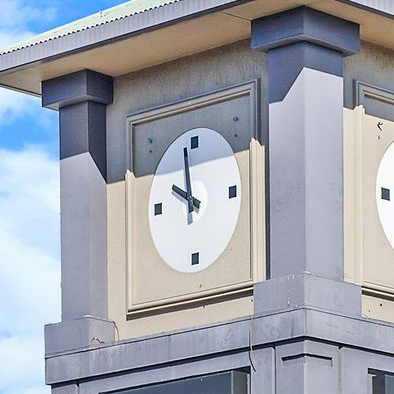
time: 9:57
